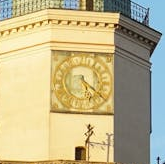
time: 5:21
